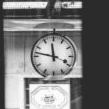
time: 11:46
